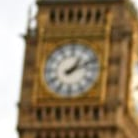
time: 1:11
